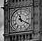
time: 11:19
